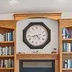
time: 4:42
